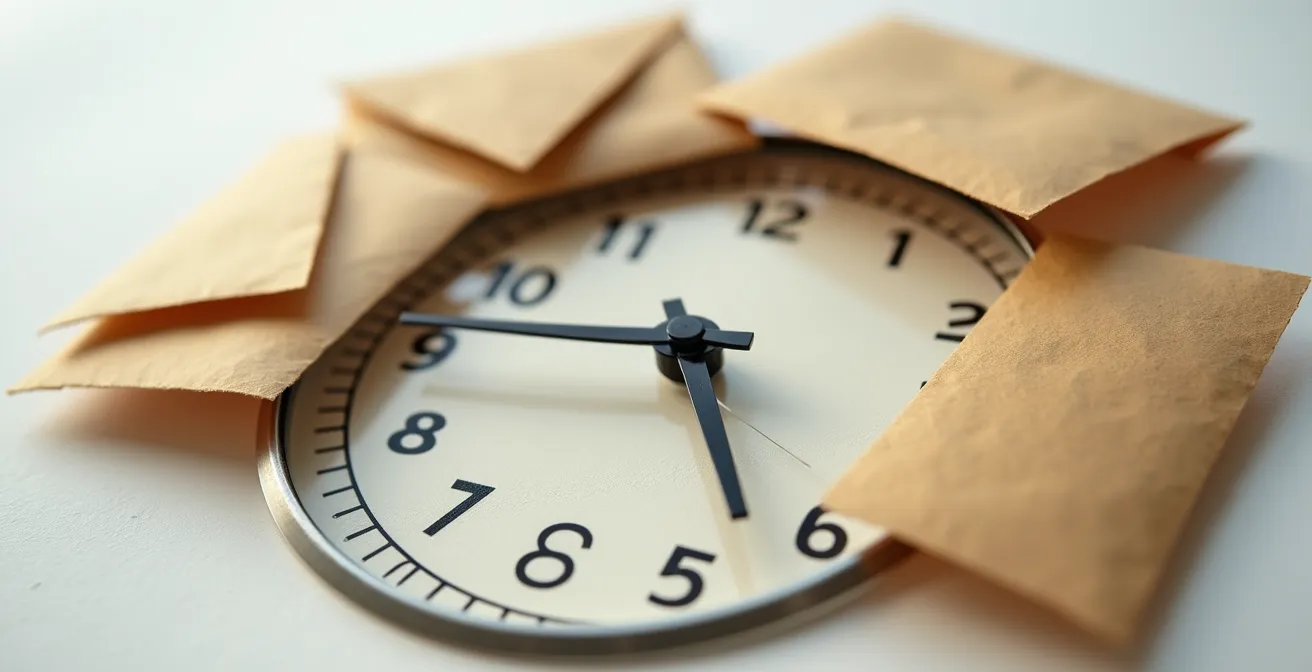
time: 4:45
